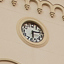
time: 6:13
